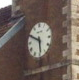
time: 5:49
